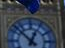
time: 12:52
